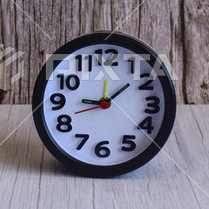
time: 9:08
